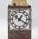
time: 1:20
